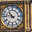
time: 10:45
